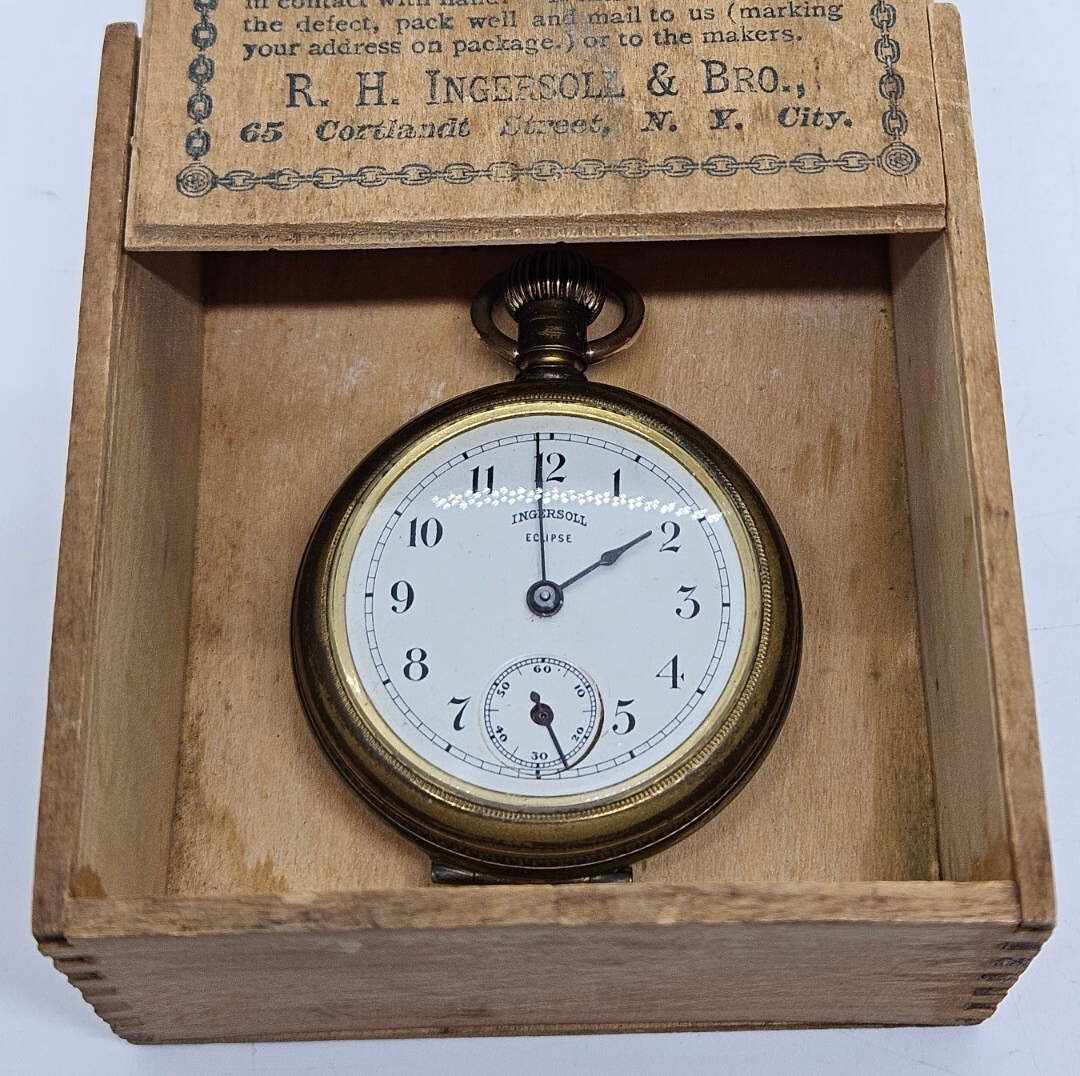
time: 1:59
